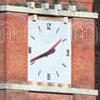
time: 1:41
